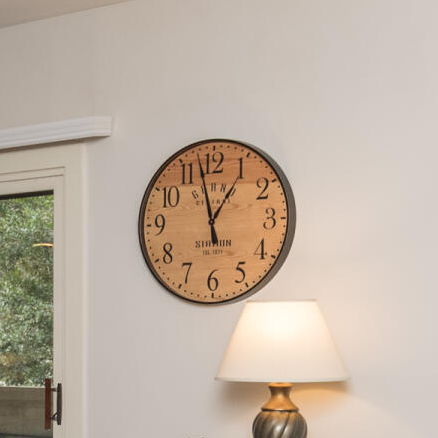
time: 12:57
